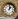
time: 1:01
